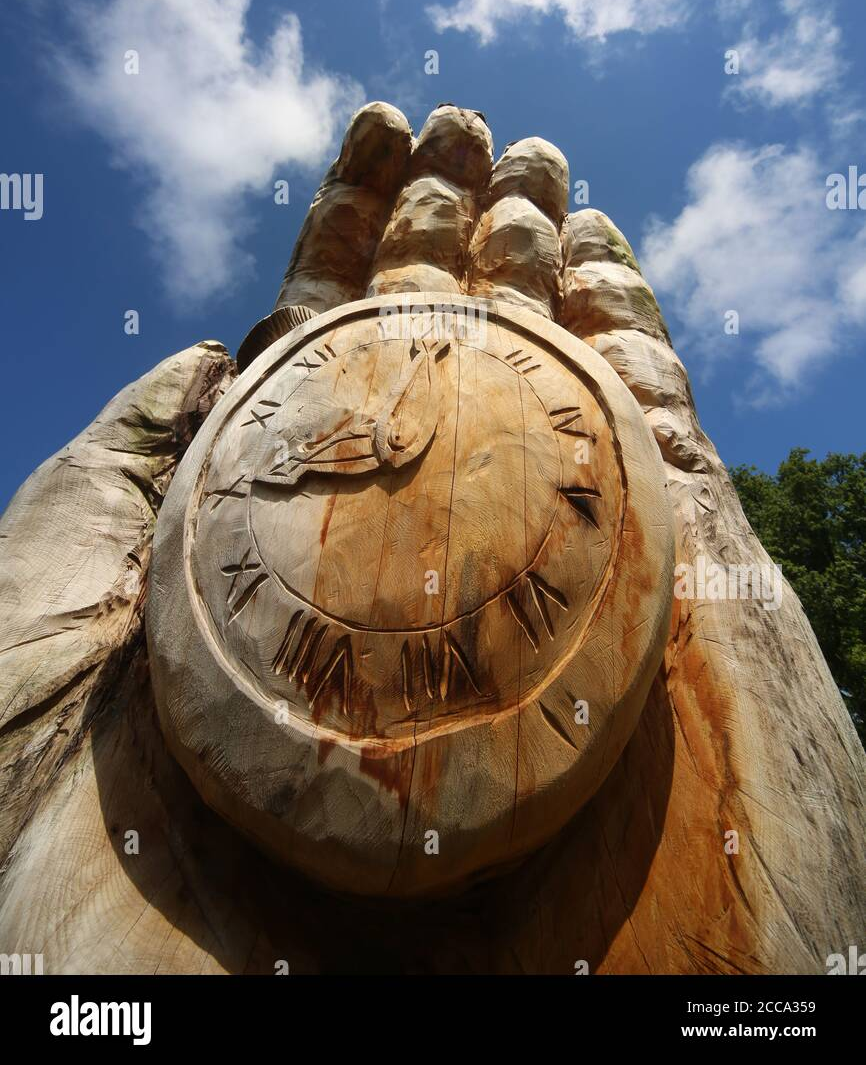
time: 8:44
